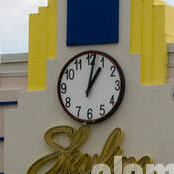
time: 1:01
